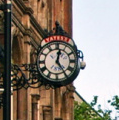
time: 12:24
